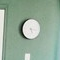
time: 5:16
